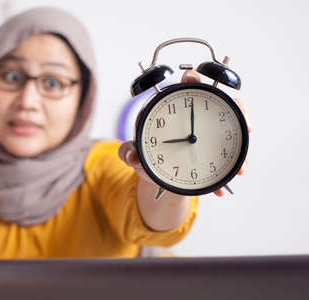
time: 9:01
